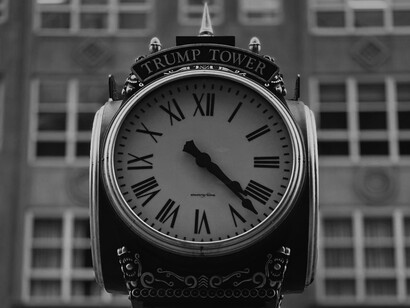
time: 4:22
